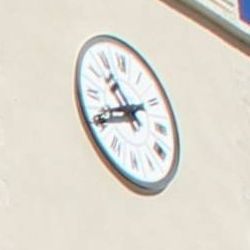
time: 10:40
